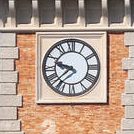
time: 9:37
